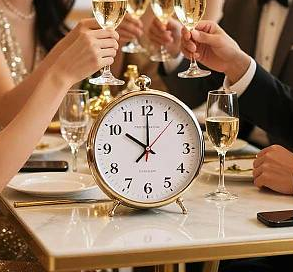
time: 10:00
